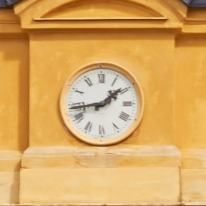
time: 1:43
